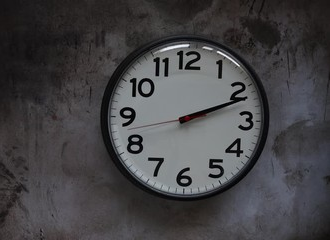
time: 2:11
